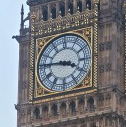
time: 3:45
